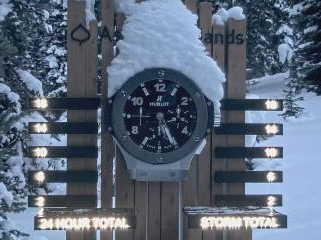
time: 5:25
